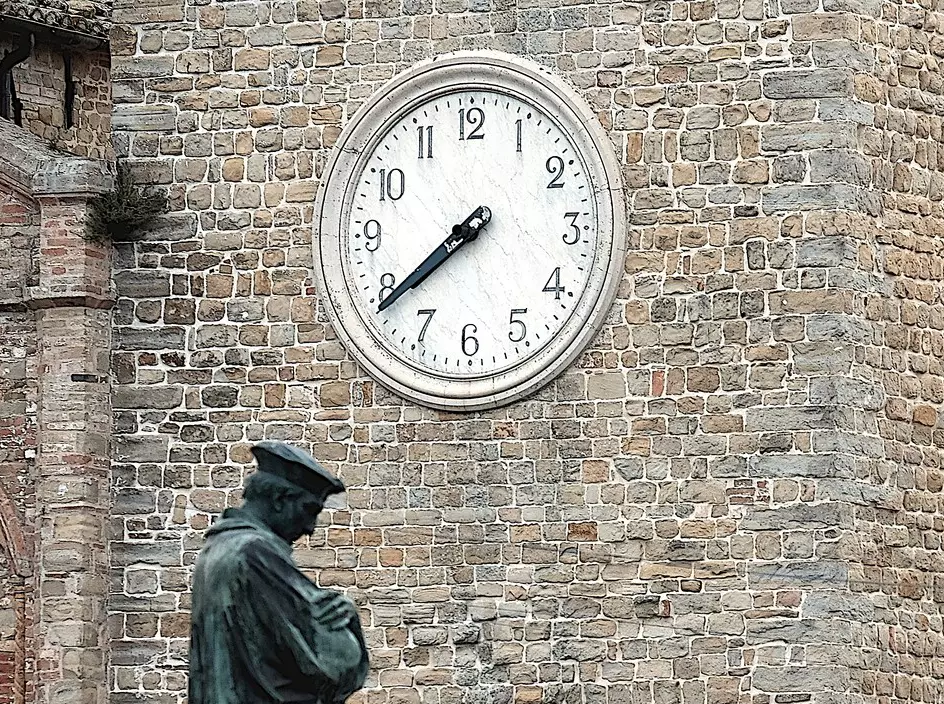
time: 7:38
